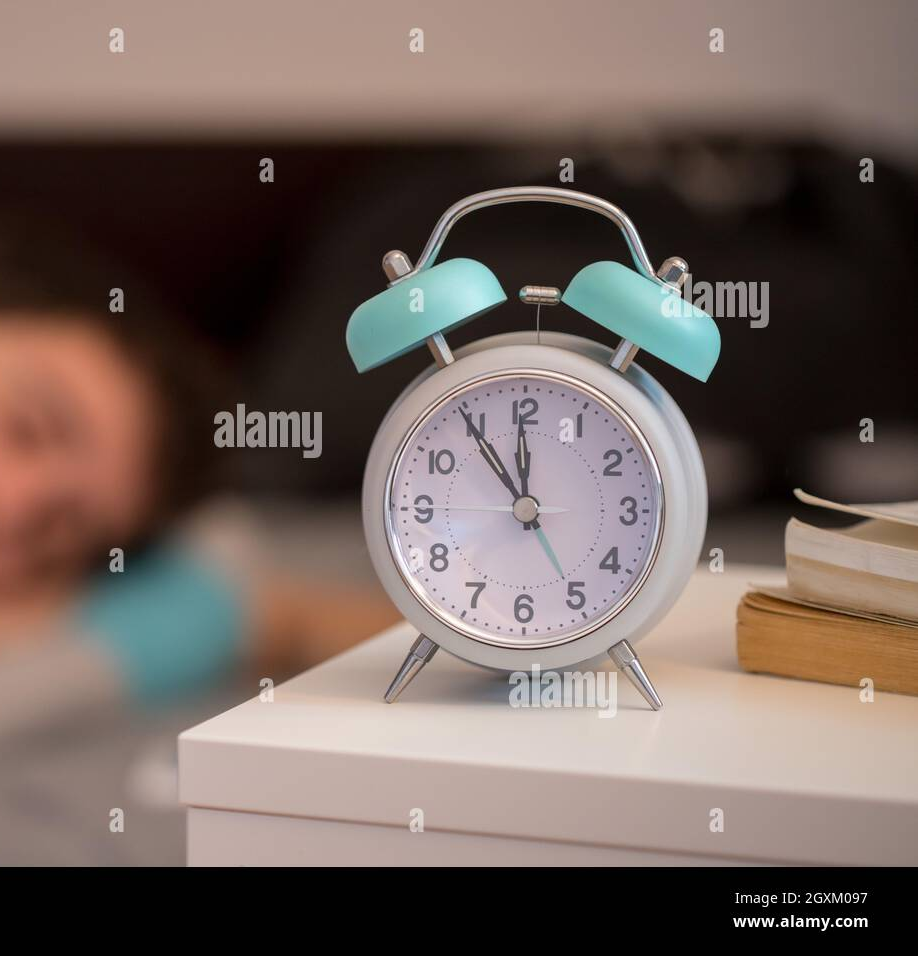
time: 11:54
